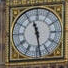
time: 11:28
